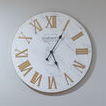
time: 5:05
